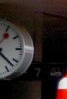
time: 1:22
